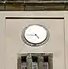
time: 4:44
